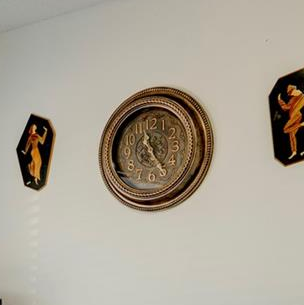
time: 11:24
